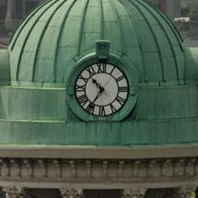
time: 10:35
